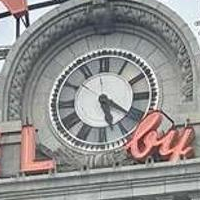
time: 5:20
